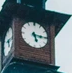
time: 5:15
